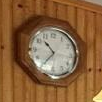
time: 10:36
